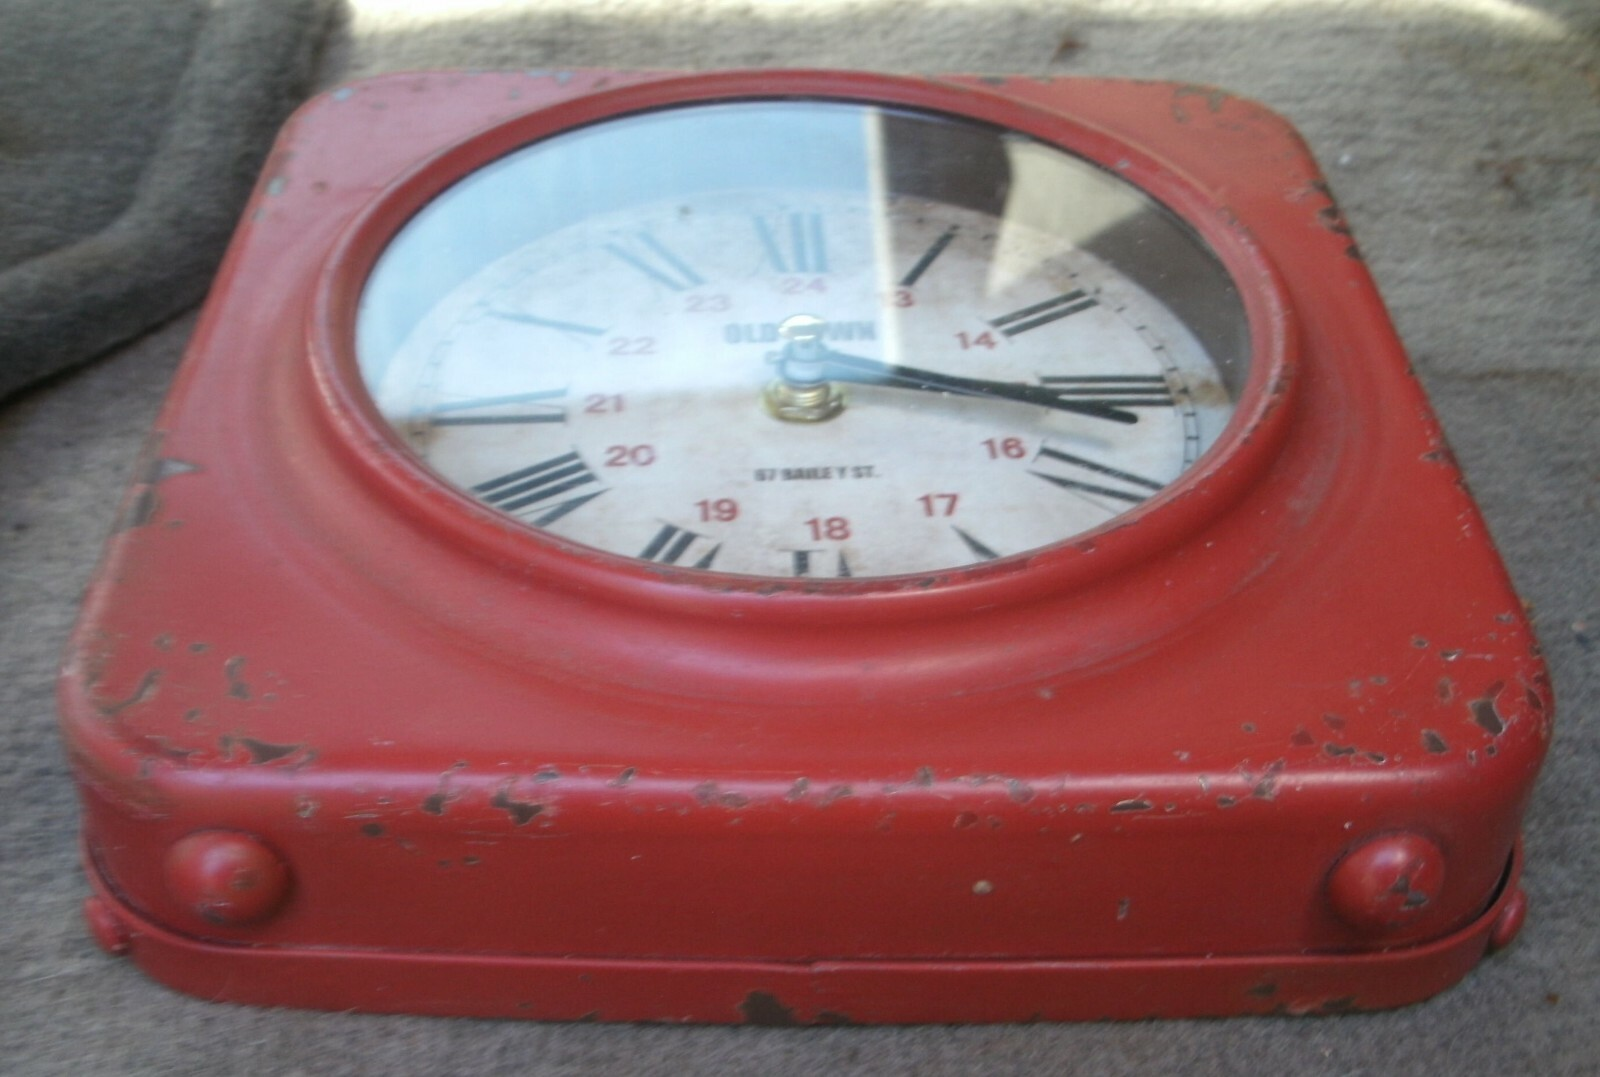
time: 3:16
